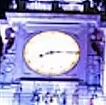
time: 8:14
